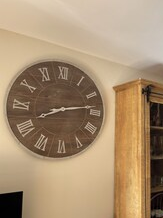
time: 8:13
